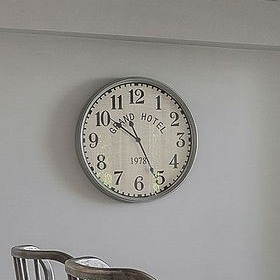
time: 10:25
